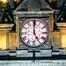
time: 5:00
